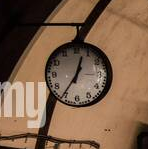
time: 12:35
